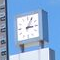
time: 3:04
